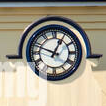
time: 12:48
